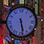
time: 5:28
